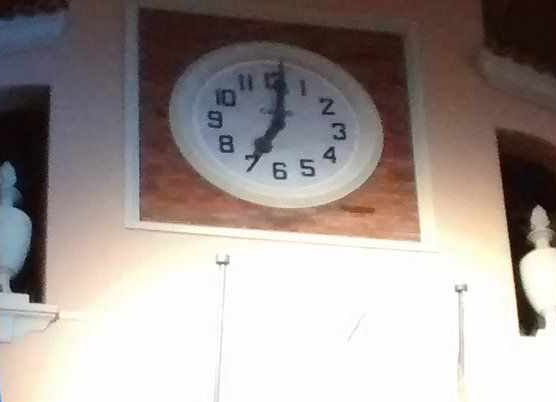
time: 7:01
